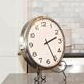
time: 2:25
